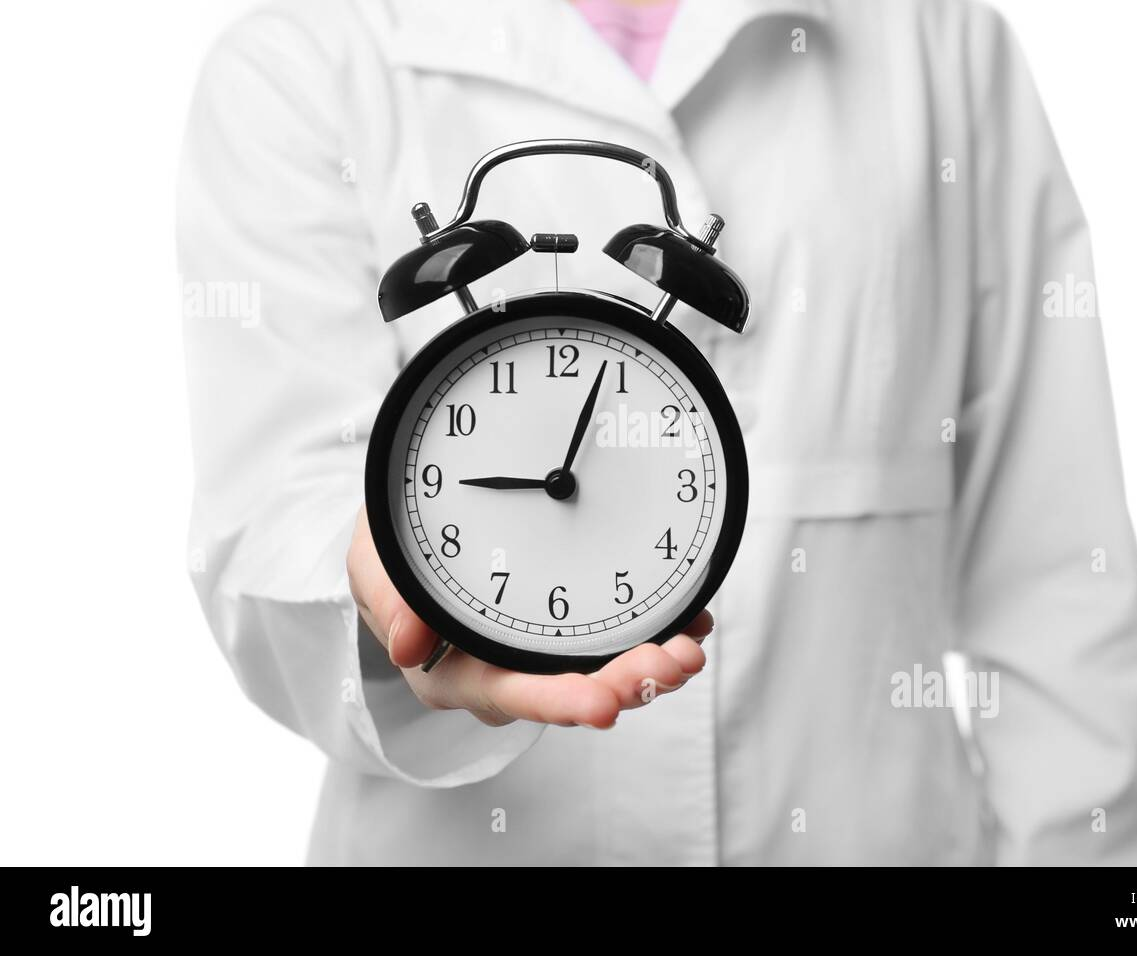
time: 9:03
